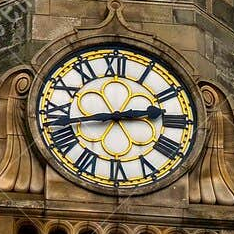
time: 2:42
